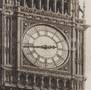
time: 2:43
